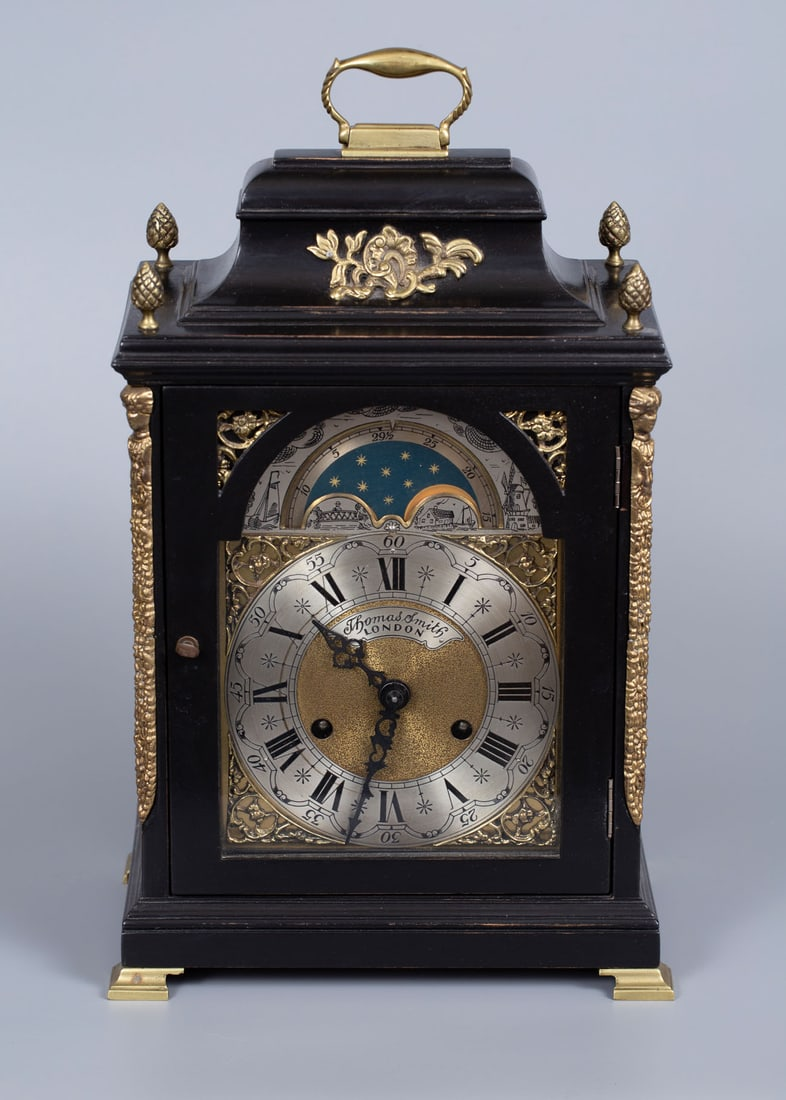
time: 10:32
